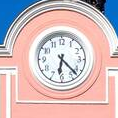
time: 6:22
